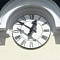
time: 12:51
